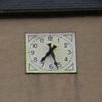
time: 7:27
